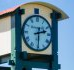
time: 2:29
